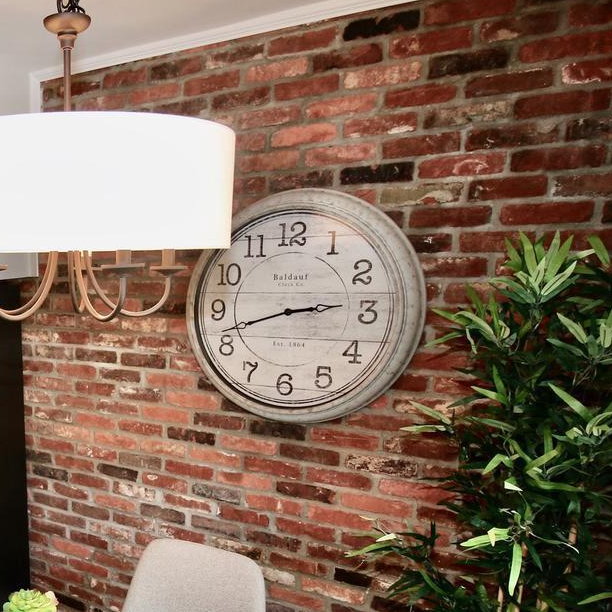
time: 2:42
